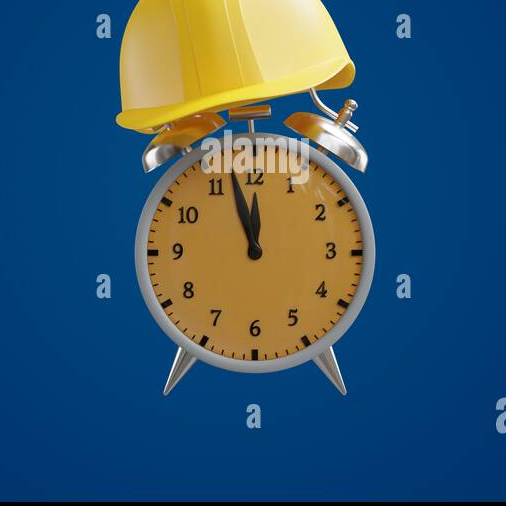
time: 11:57
